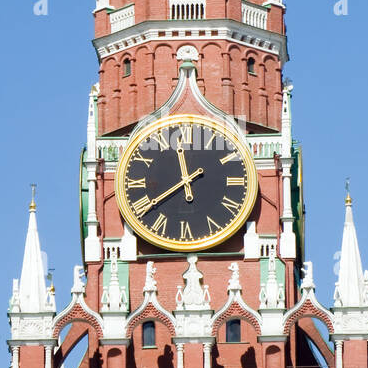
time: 11:39
